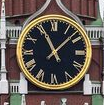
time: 11:07
